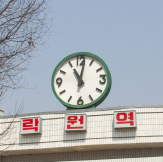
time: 11:01
